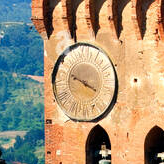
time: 3:48
